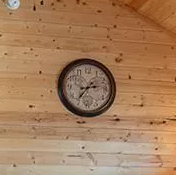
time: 2:36
